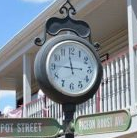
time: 11:45
